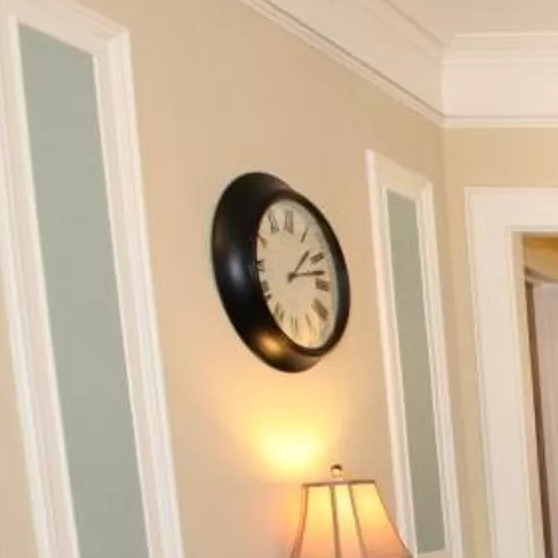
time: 1:12
